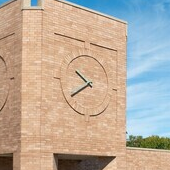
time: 10:39
